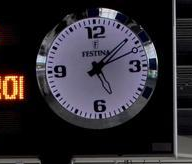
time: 1:08
